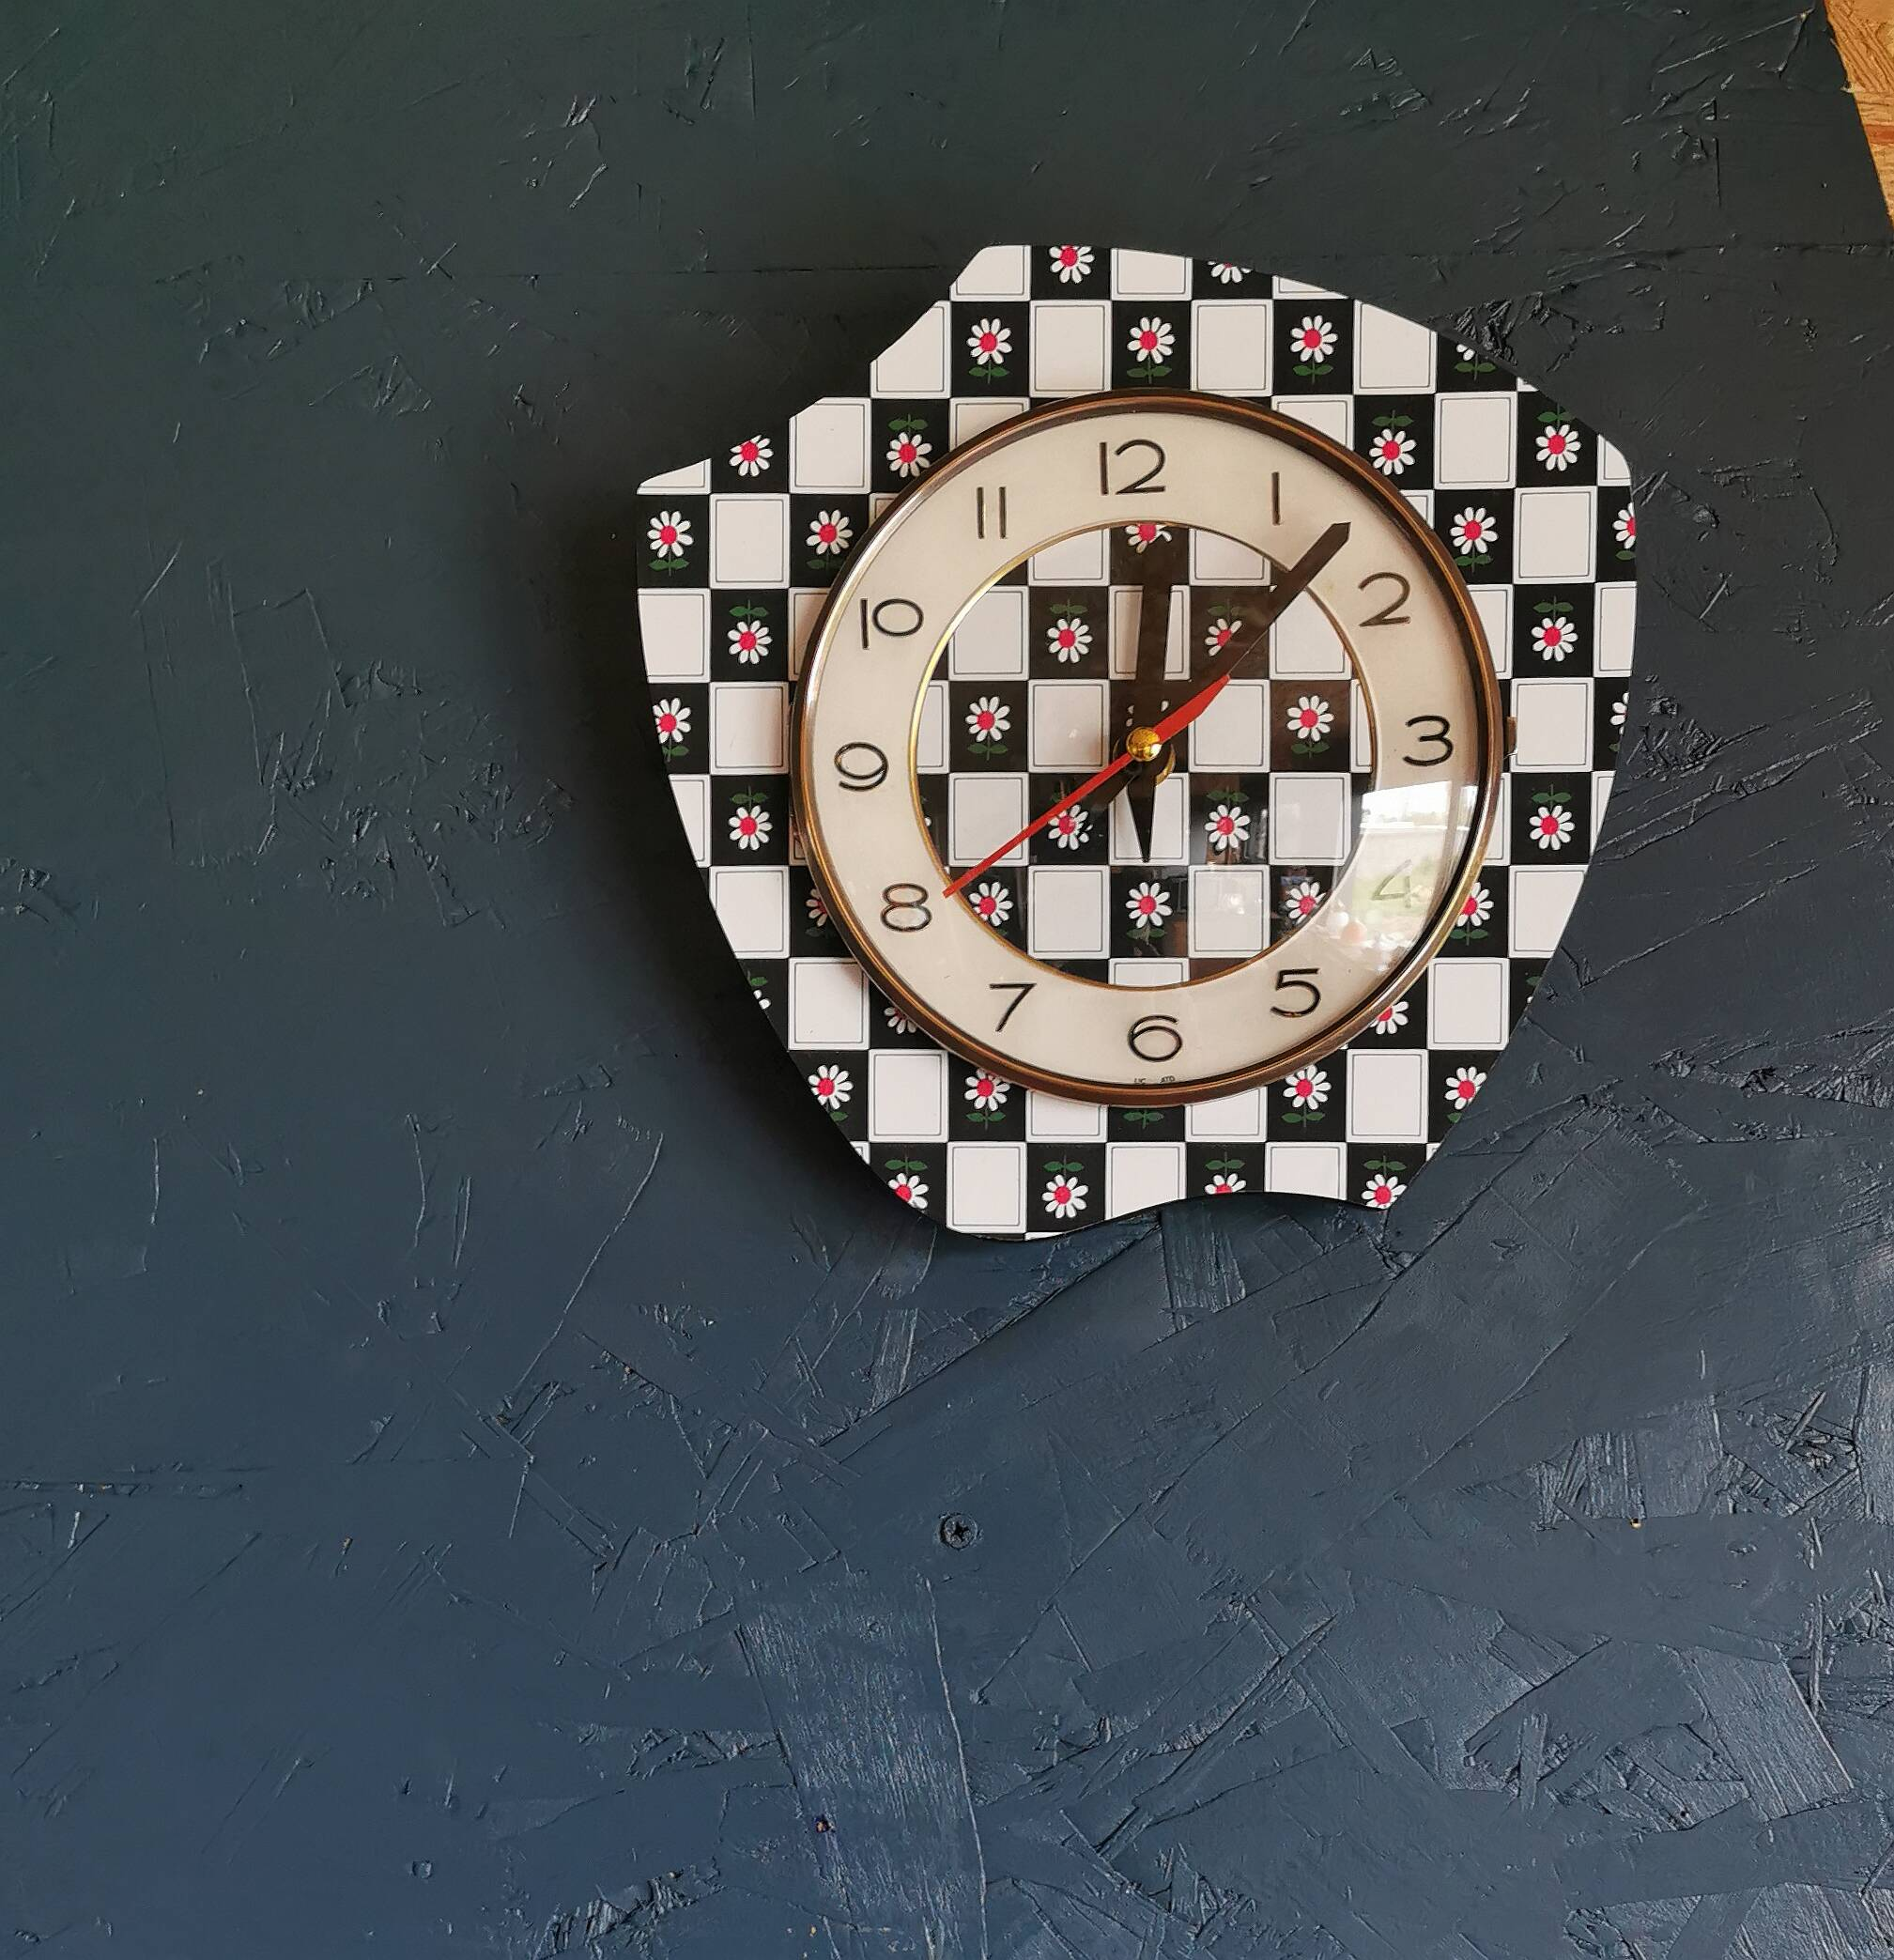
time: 12:07
